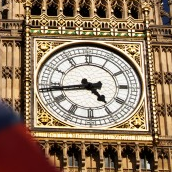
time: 4:43
